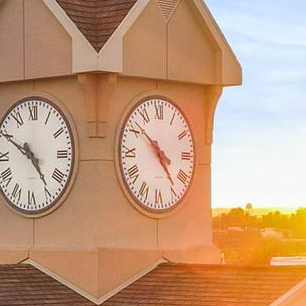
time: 4:51
